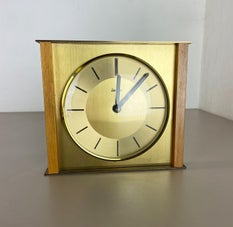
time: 12:07
